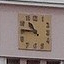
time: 10:45
